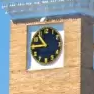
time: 10:45
